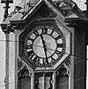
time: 11:28
